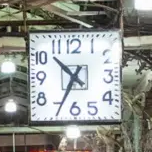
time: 10:34
